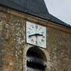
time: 2:40
